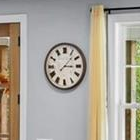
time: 3:07
